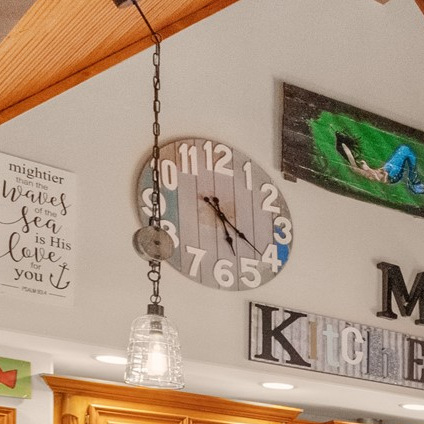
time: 5:21
